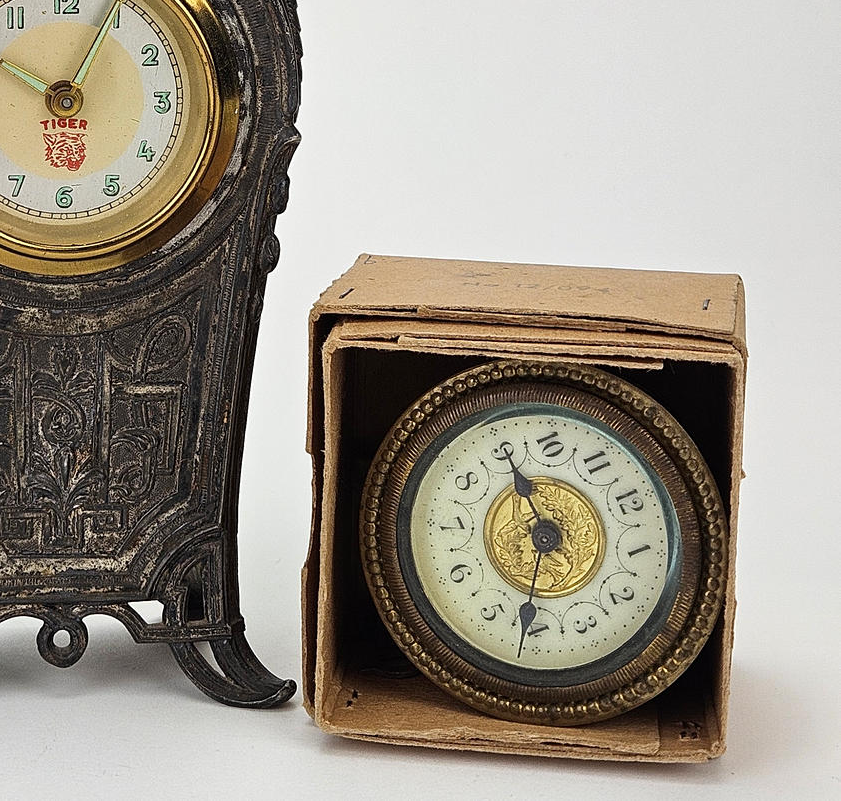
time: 11:31
